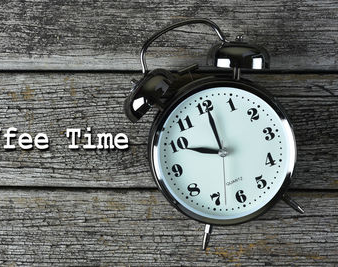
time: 10:00
